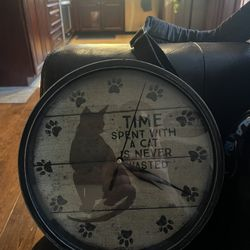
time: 4:02
